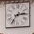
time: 2:36
